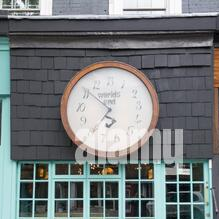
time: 6:51
